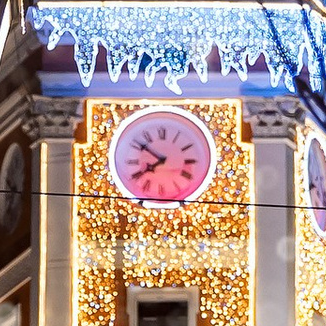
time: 7:51
